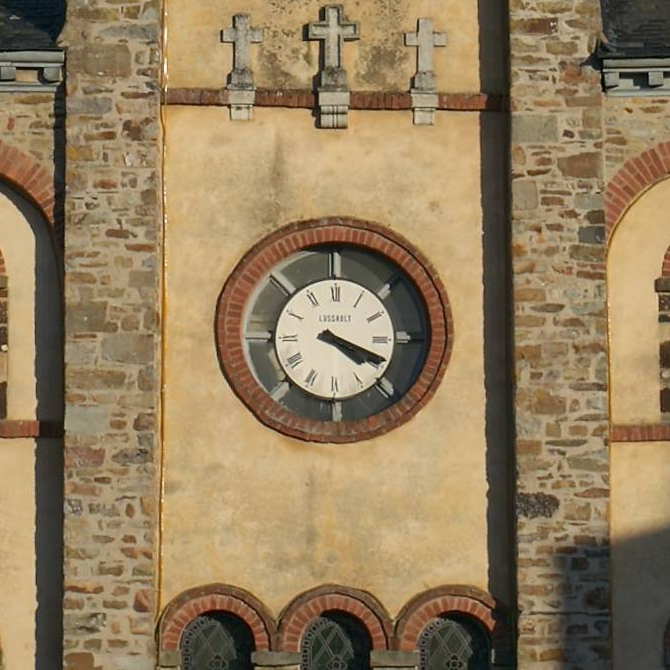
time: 4:18
